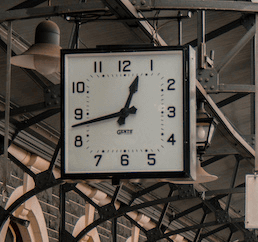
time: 12:42
